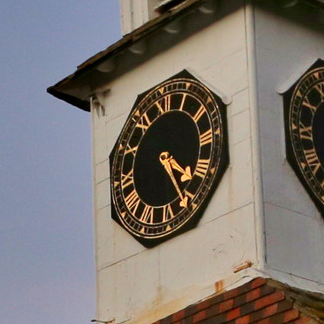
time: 4:26
